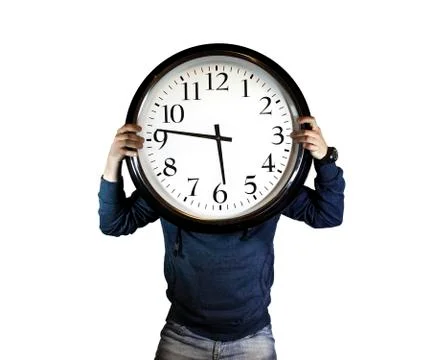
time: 5:46
